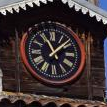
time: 11:07
